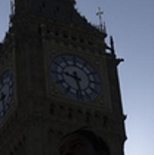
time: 9:28
